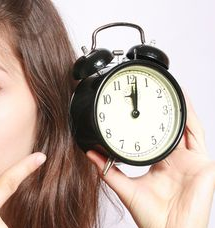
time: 12:01
